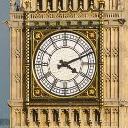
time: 4:11
